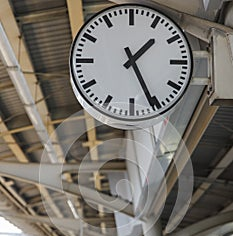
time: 1:26
